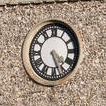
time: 4:26
